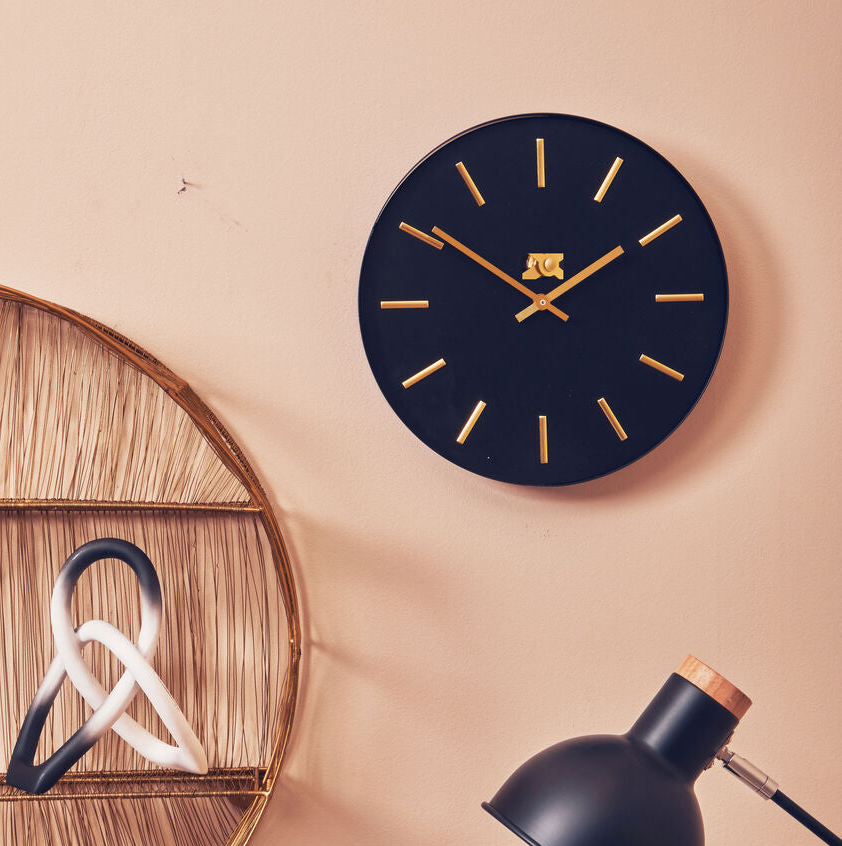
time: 1:50
